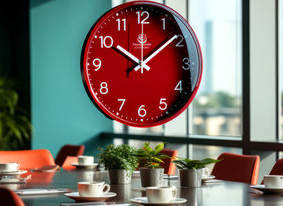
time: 10:08
